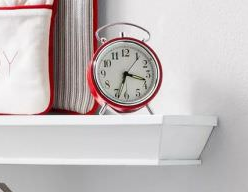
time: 3:33
